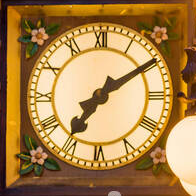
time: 7:09
